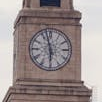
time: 5:57
